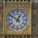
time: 12:51
